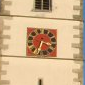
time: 3:32
